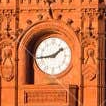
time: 1:43
